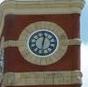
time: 12:30
